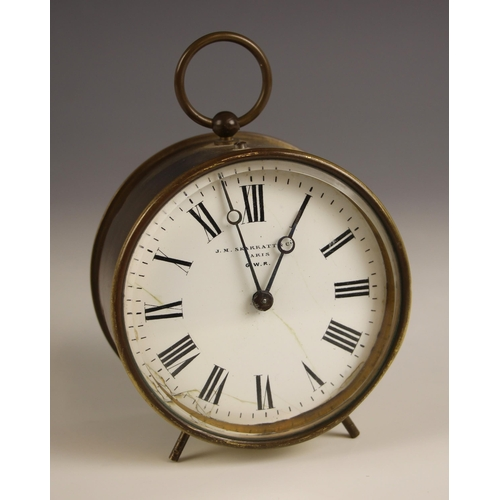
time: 12:57
